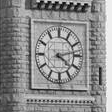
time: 4:12
